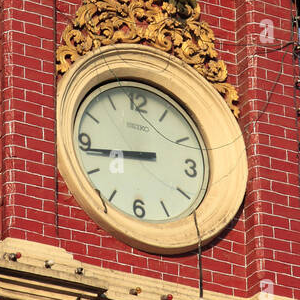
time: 8:43
